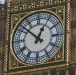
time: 12:52
